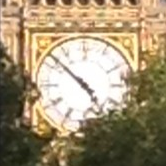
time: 4:52
